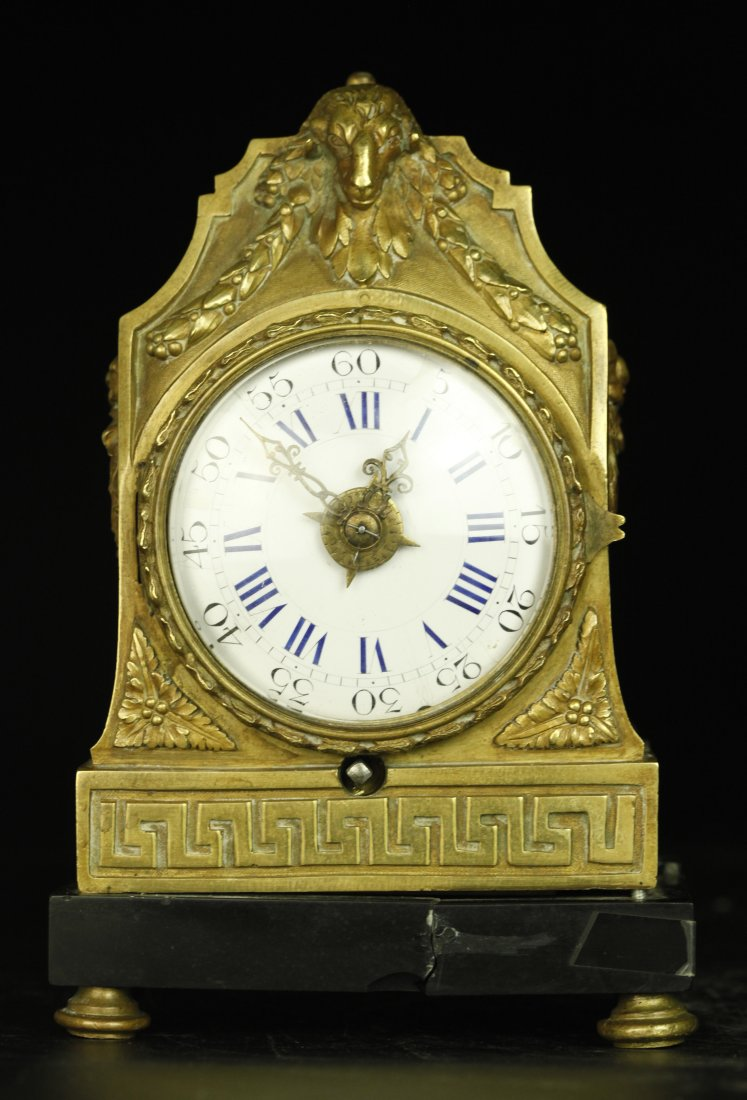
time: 12:52
